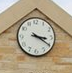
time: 3:20
